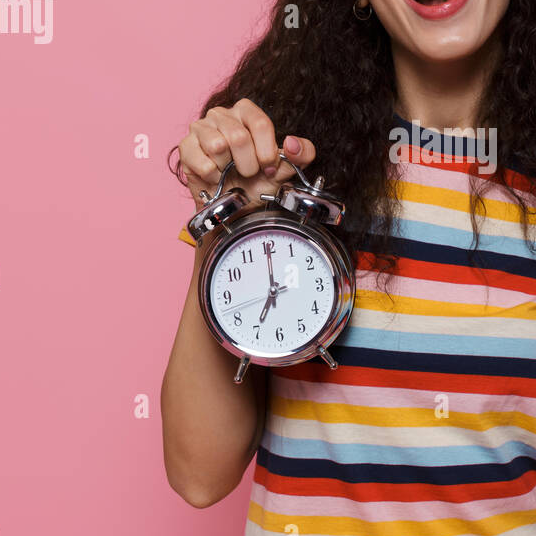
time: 7:00
